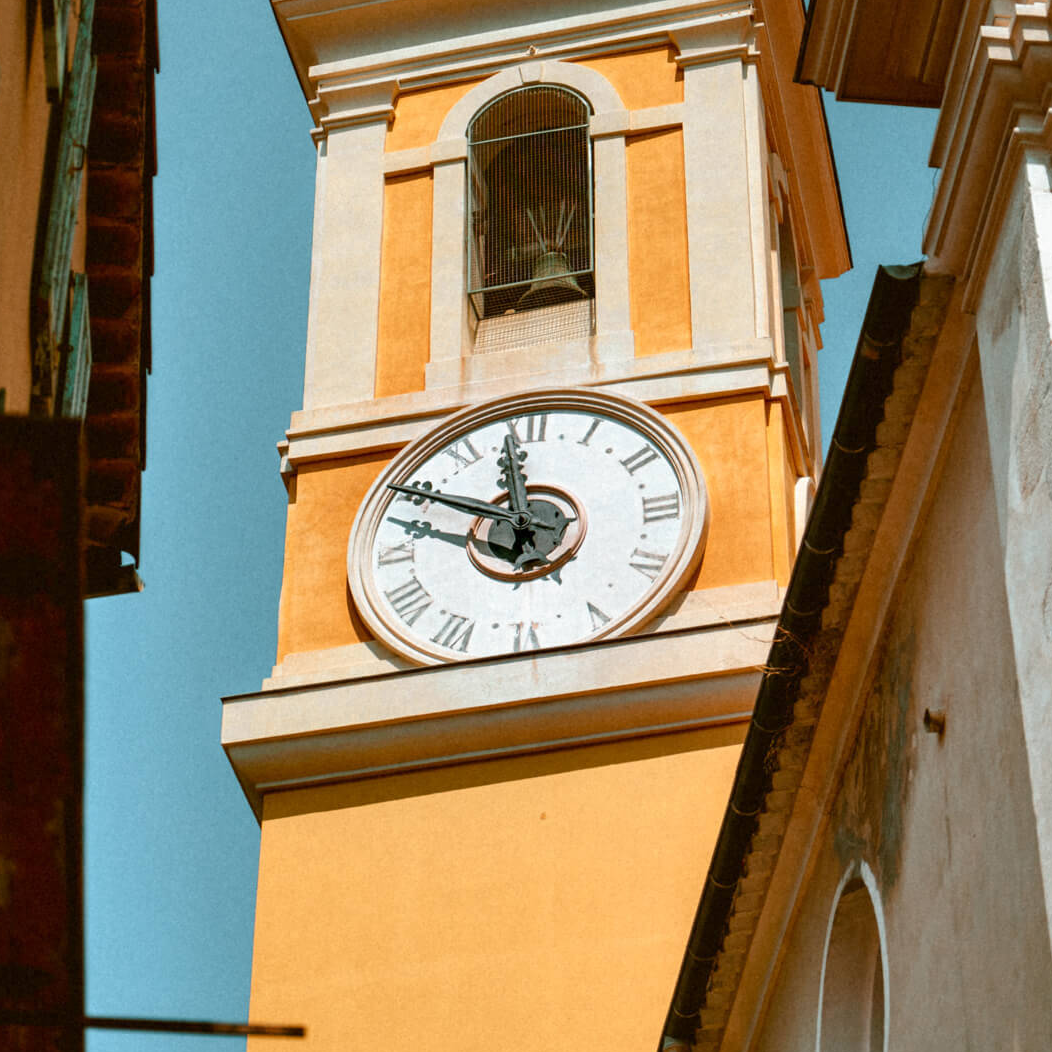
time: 11:49
